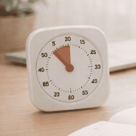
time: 11:52
